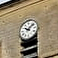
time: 10:07
